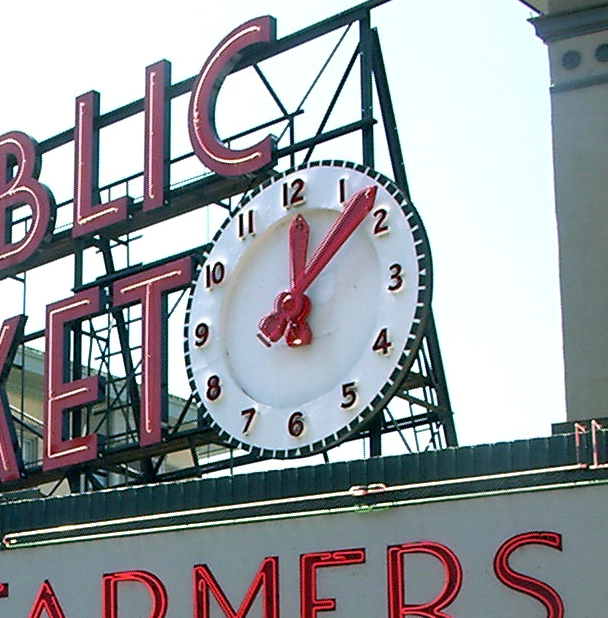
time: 12:07
